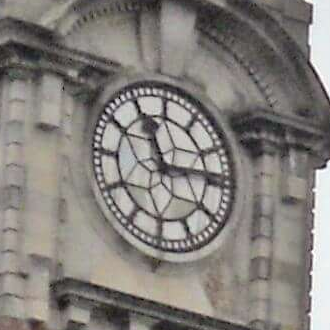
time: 11:13
